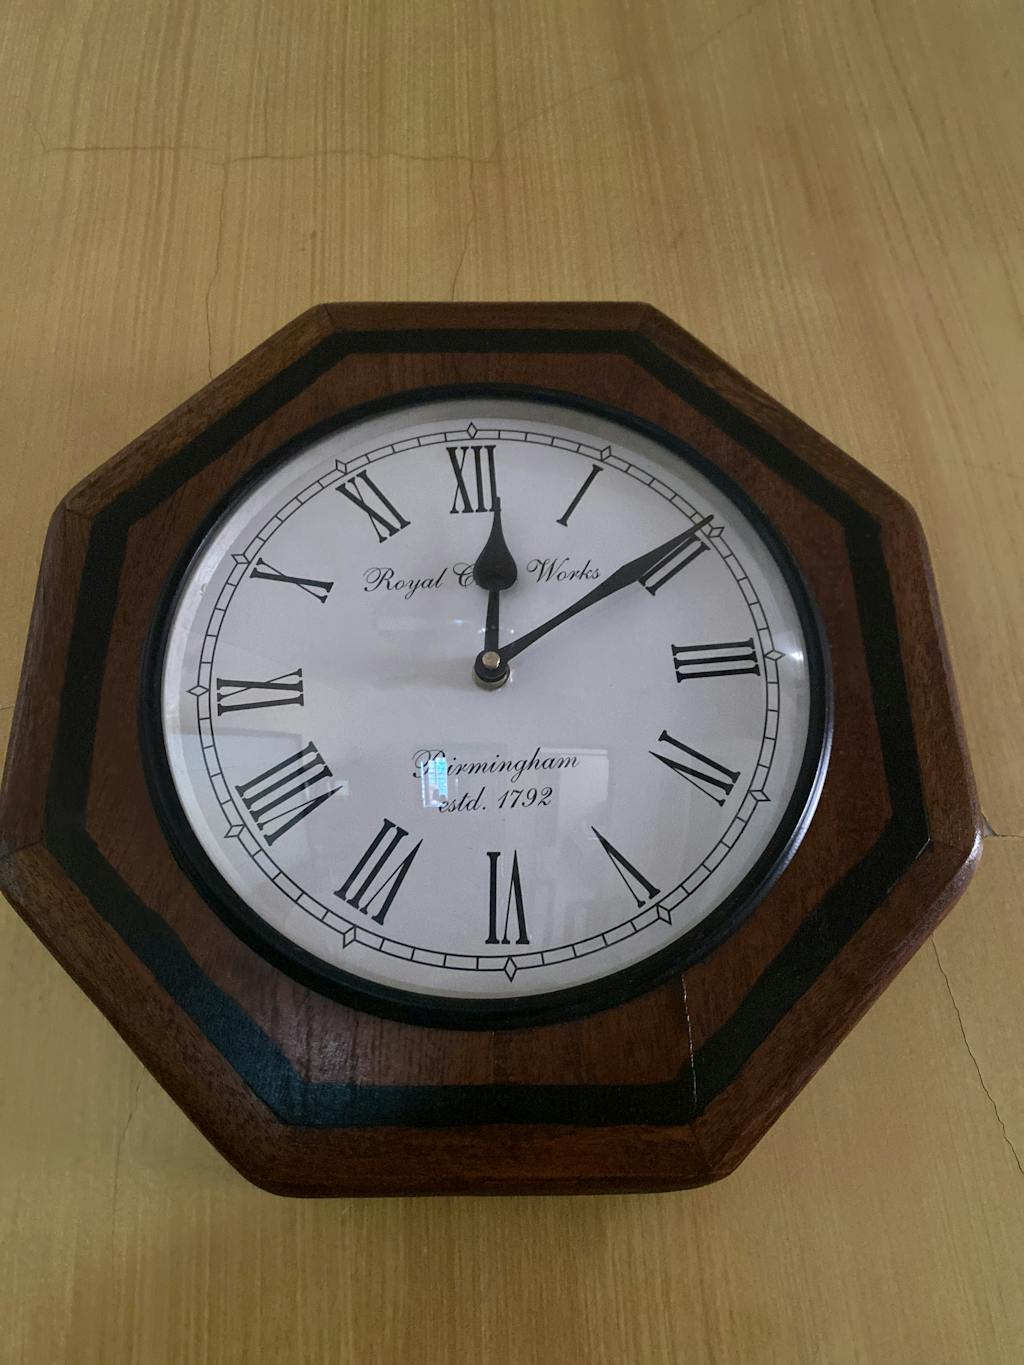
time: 12:09
